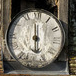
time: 5:59
